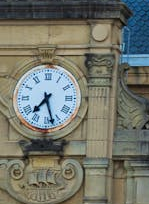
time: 7:27
